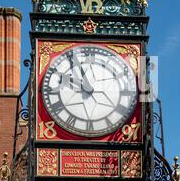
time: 9:56
